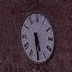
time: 5:29
